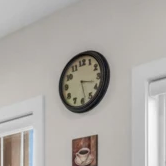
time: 3:28
